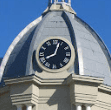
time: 8:03
